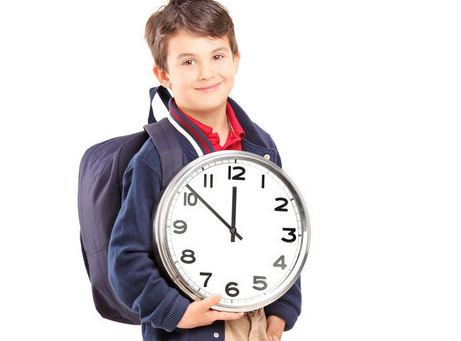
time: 11:51
